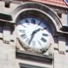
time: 1:33
